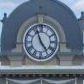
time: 4:56
